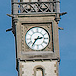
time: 2:36
